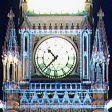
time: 10:37
